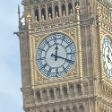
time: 12:18
